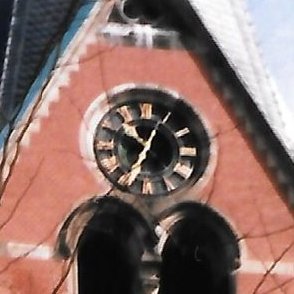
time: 10:34
